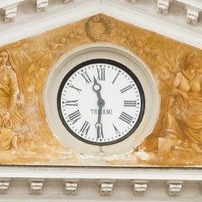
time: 11:30
